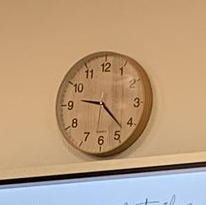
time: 9:22
